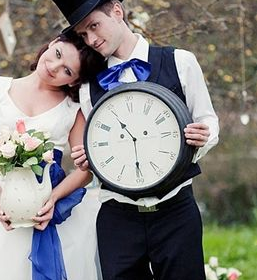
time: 10:30
